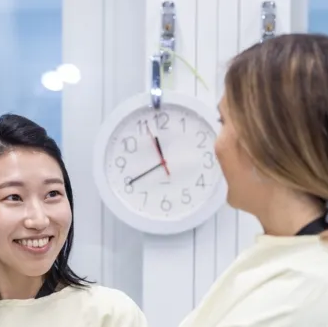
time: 11:40
